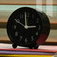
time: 2:50
